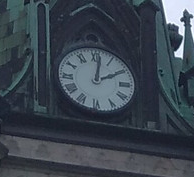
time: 2:01
